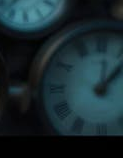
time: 12:07
